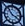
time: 3:53
